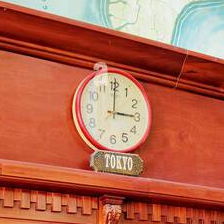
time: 3:00
